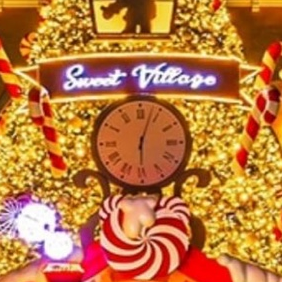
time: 6:03
